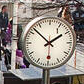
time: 1:52
